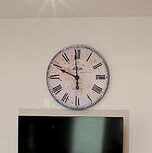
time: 9:59
